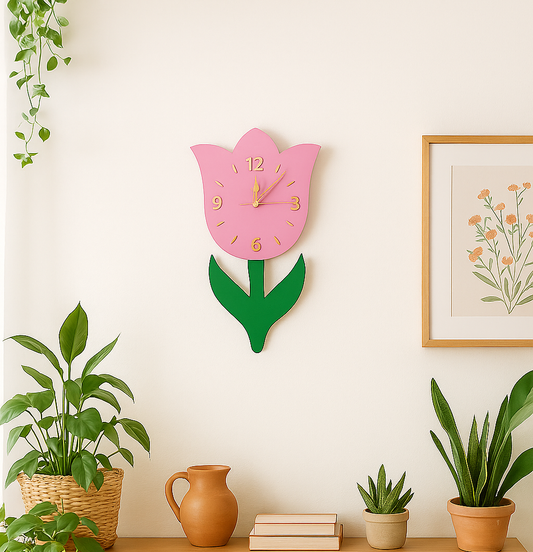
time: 12:07
